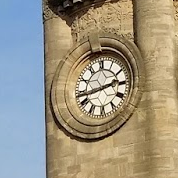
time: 2:43
